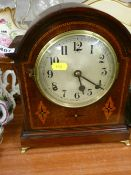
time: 5:20
